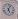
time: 5:03
